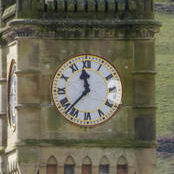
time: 11:37
